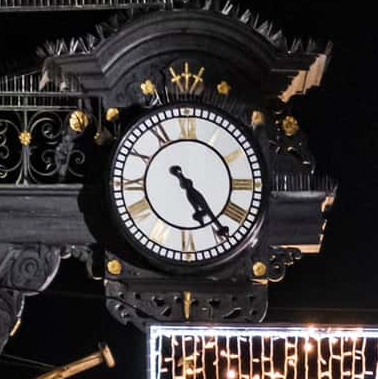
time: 5:23
